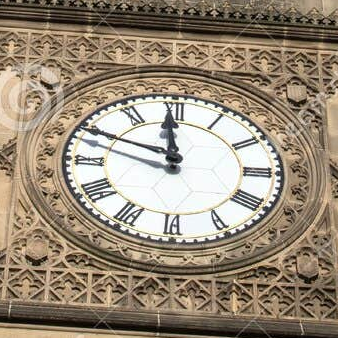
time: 11:49
